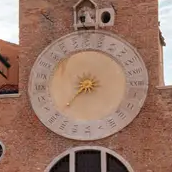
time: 7:36
